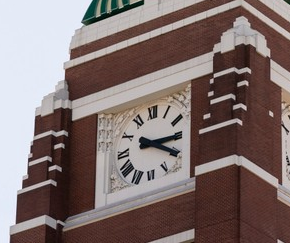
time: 3:20
